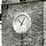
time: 12:52
